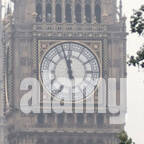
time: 11:57
